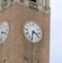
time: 3:32
